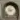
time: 4:12
